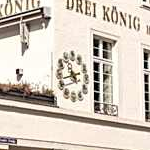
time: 10:42
